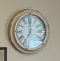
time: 7:00
